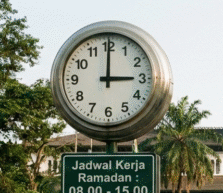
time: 3:00
